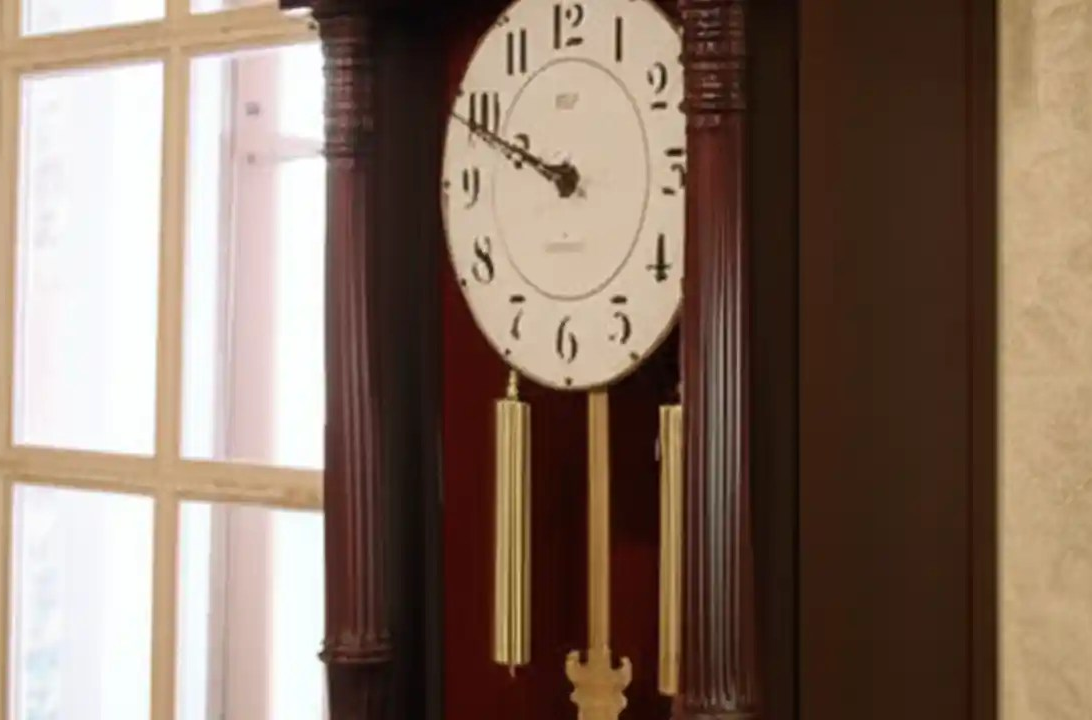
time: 9:48
